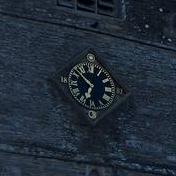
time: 6:52
